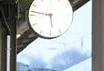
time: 5:46
